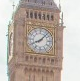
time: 8:07
